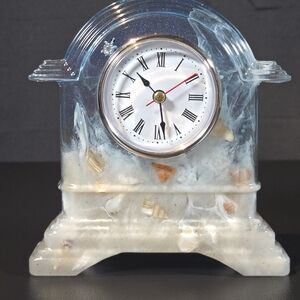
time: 10:28
